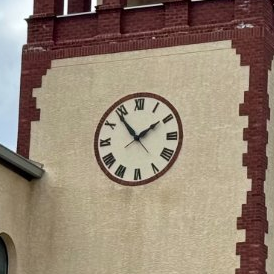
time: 1:53
